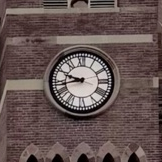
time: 9:42
